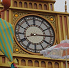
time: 8:15
